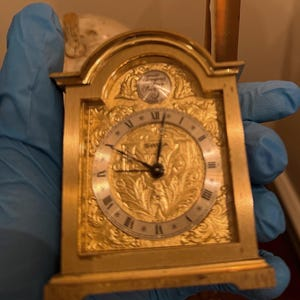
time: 9:02
